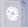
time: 6:48
